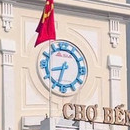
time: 8:33
